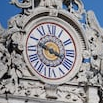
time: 3:48
